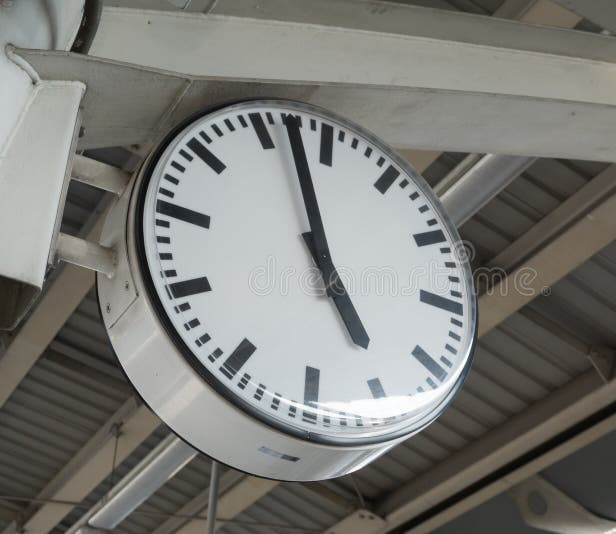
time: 4:57
